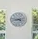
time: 4:12
